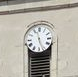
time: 11:26
